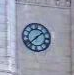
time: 1:37
